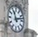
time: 11:12
